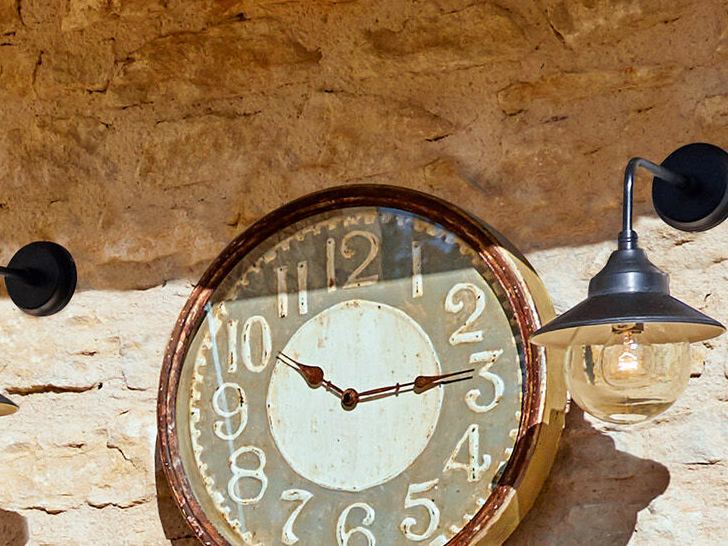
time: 10:13
